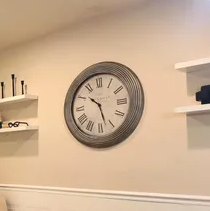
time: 10:27
